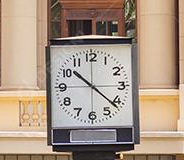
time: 10:21
